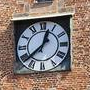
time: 12:38
